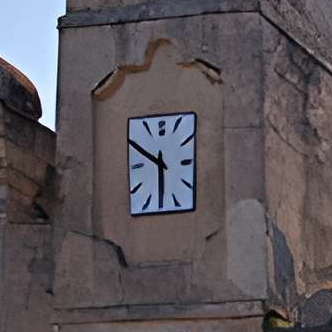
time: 5:49
